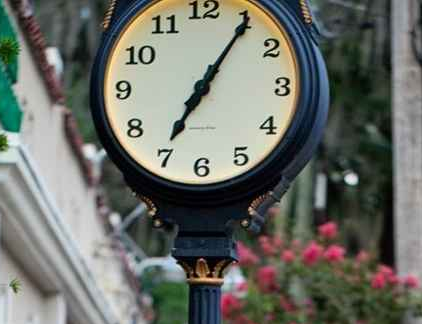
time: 7:05
